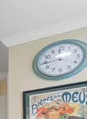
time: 11:44
